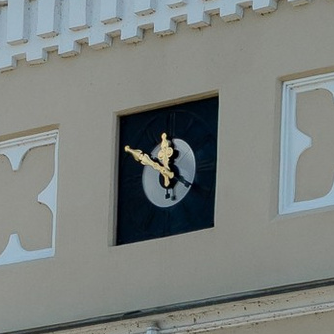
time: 11:50
